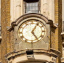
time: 5:05
